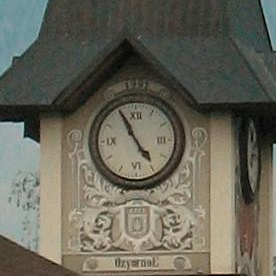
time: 4:55
